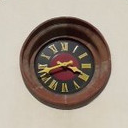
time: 3:41
